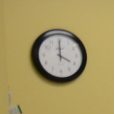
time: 4:00
